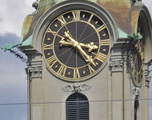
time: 3:22
